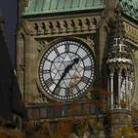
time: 1:36
